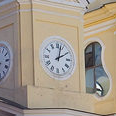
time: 2:02
